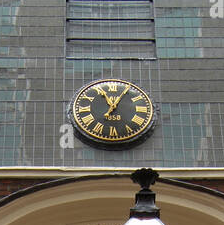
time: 11:04
